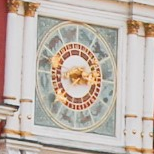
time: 3:43
